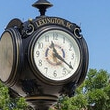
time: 11:20
